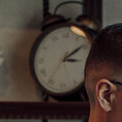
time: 3:09
